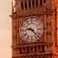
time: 9:22
